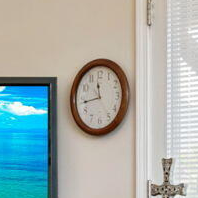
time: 11:43
